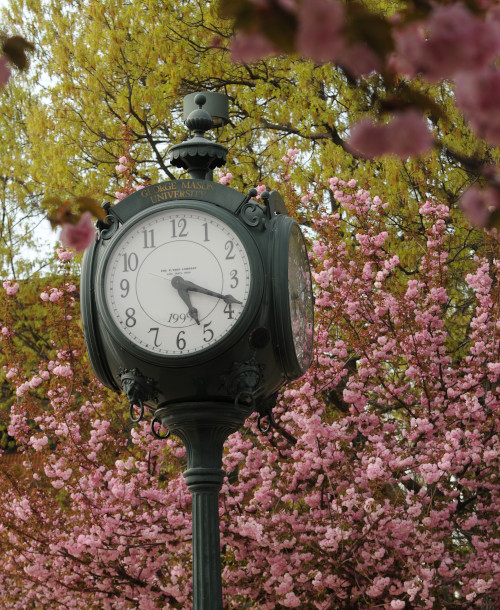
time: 5:18
